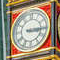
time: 3:15
